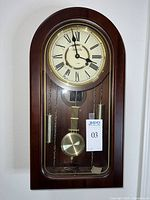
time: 3:58
